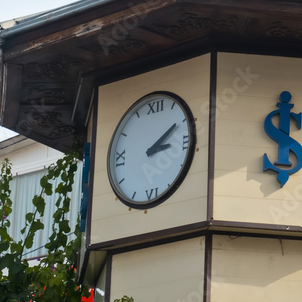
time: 3:09
